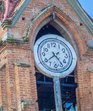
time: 4:39
